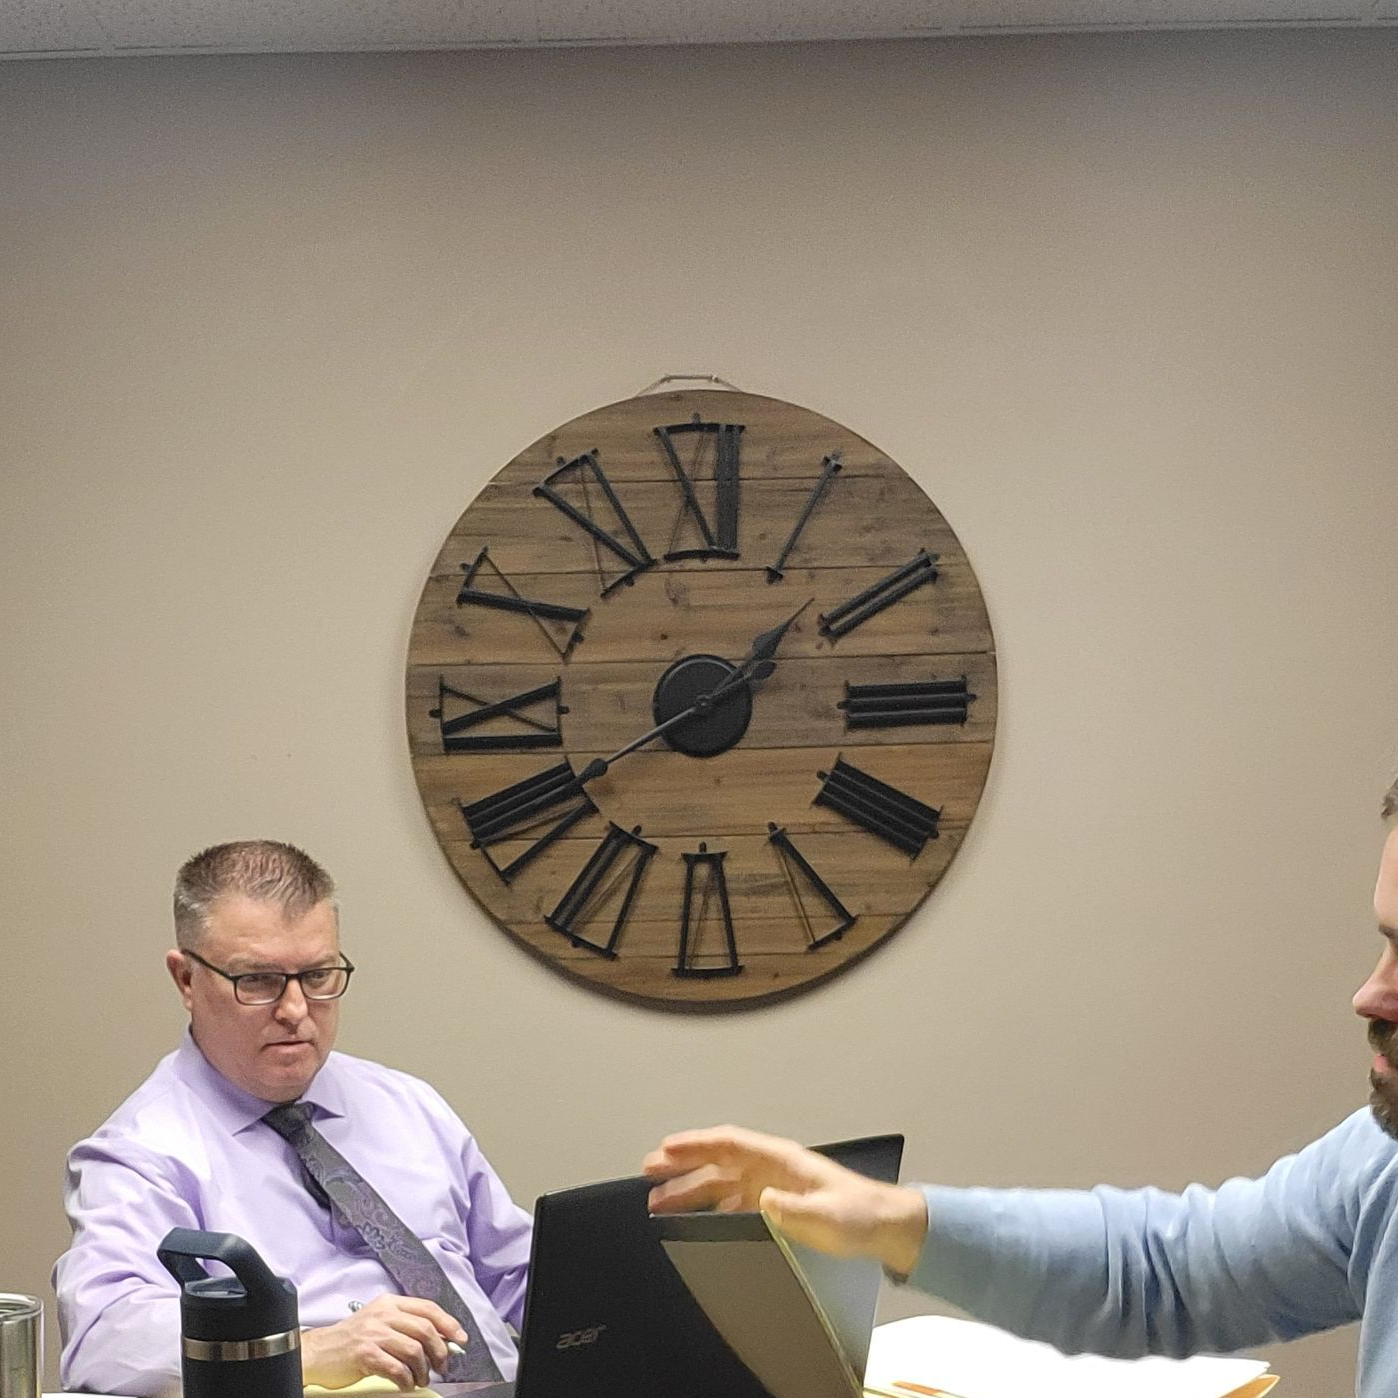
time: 1:40
